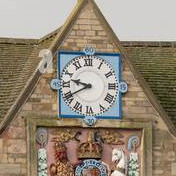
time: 9:40
